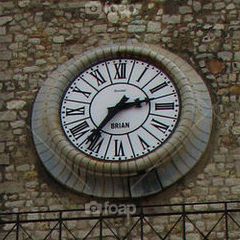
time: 2:36
